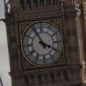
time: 3:55
